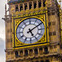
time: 5:09
